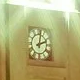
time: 2:01
